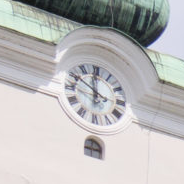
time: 11:50
